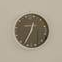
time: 12:34
